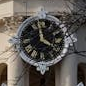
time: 3:58
